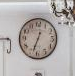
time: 12:33
